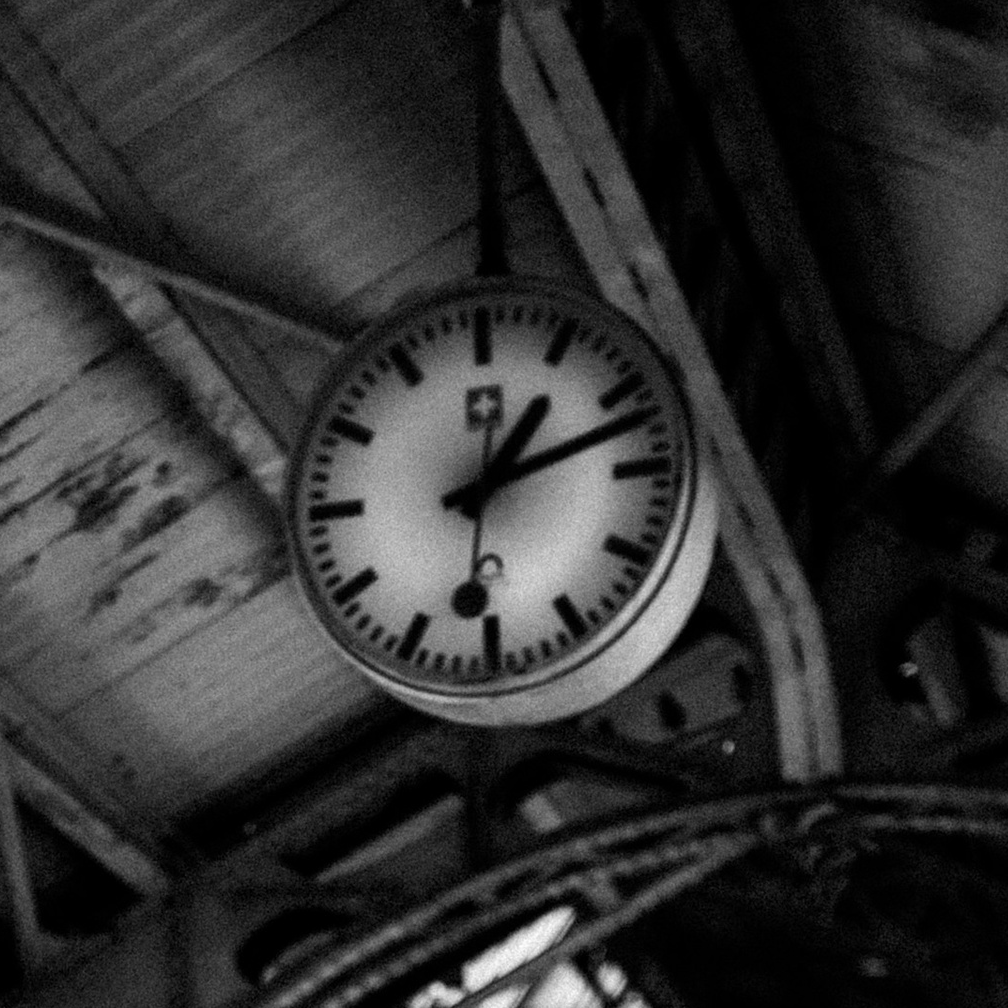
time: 1:12
